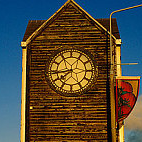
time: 7:43
